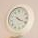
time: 4:18
